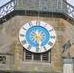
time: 10:30
